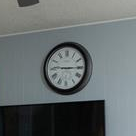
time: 9:14
